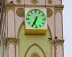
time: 6:34
